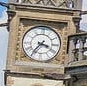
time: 3:36
